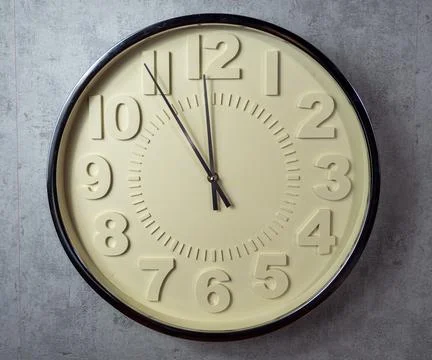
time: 11:54
